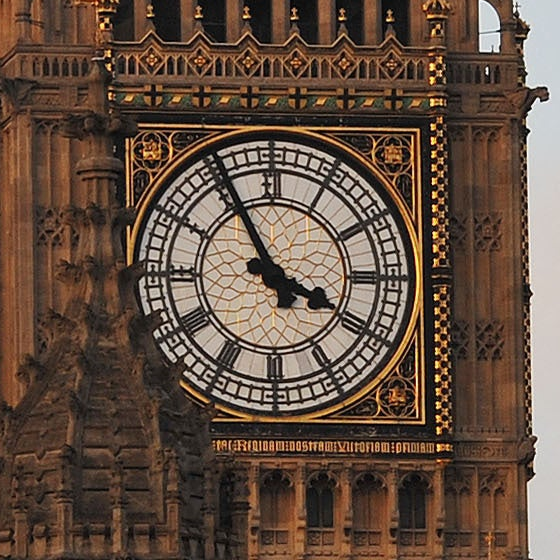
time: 3:55
